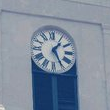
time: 1:25
